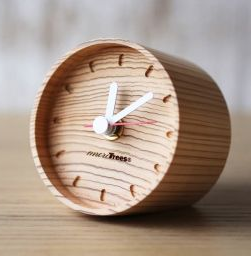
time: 12:08
